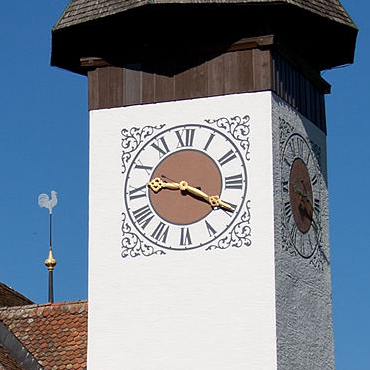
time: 9:20
